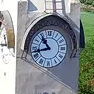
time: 10:42
